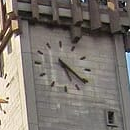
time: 5:21
